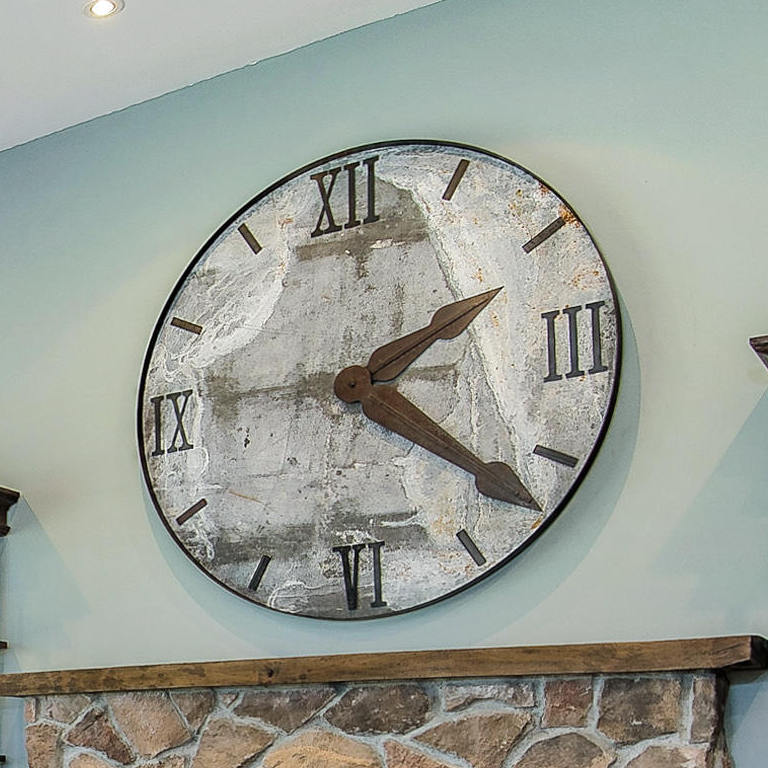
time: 2:21
